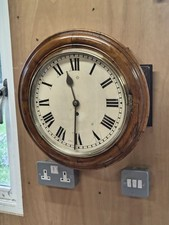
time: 11:30
